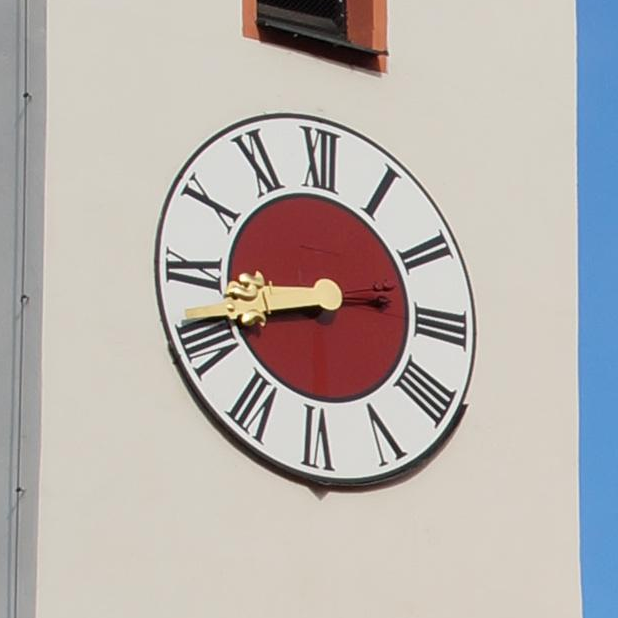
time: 8:42
